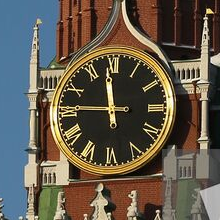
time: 11:45
